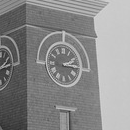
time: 2:14
